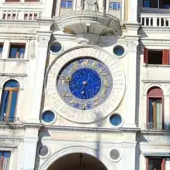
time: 6:32
